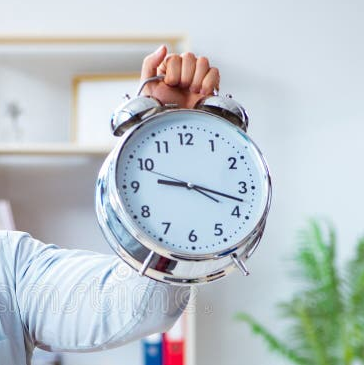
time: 9:17
